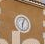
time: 6:03
